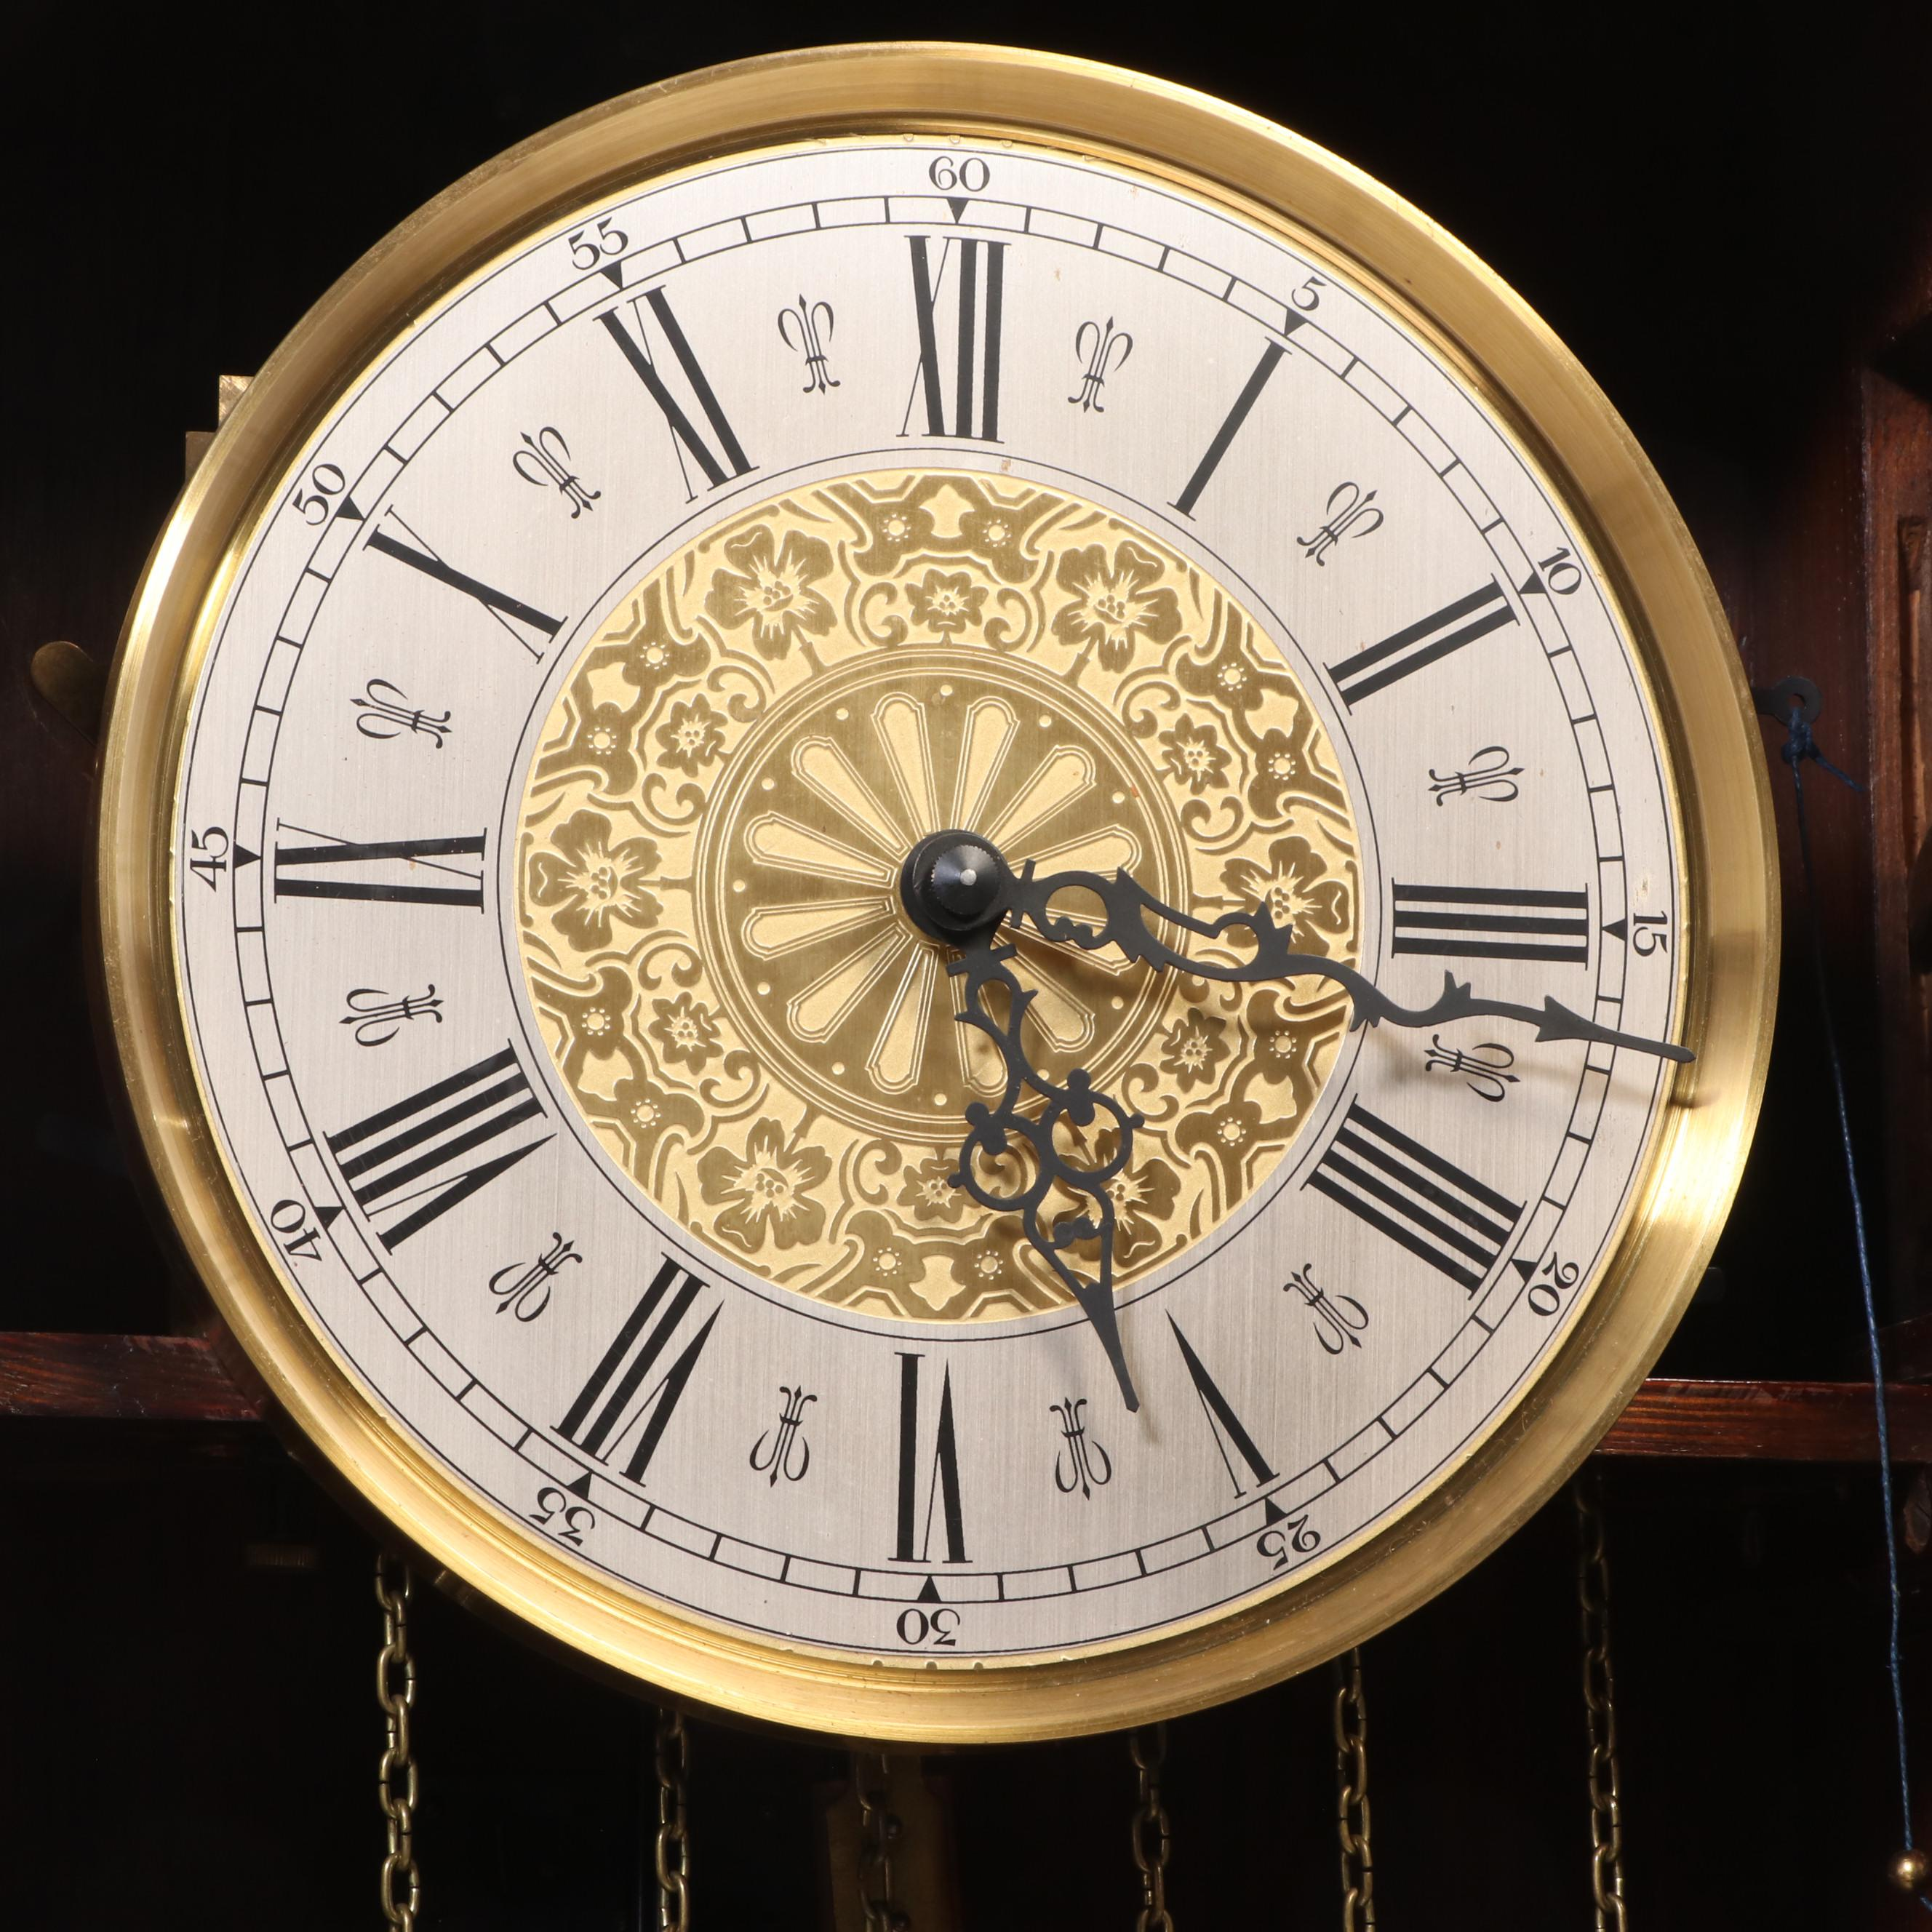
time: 5:15
